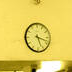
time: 5:18
